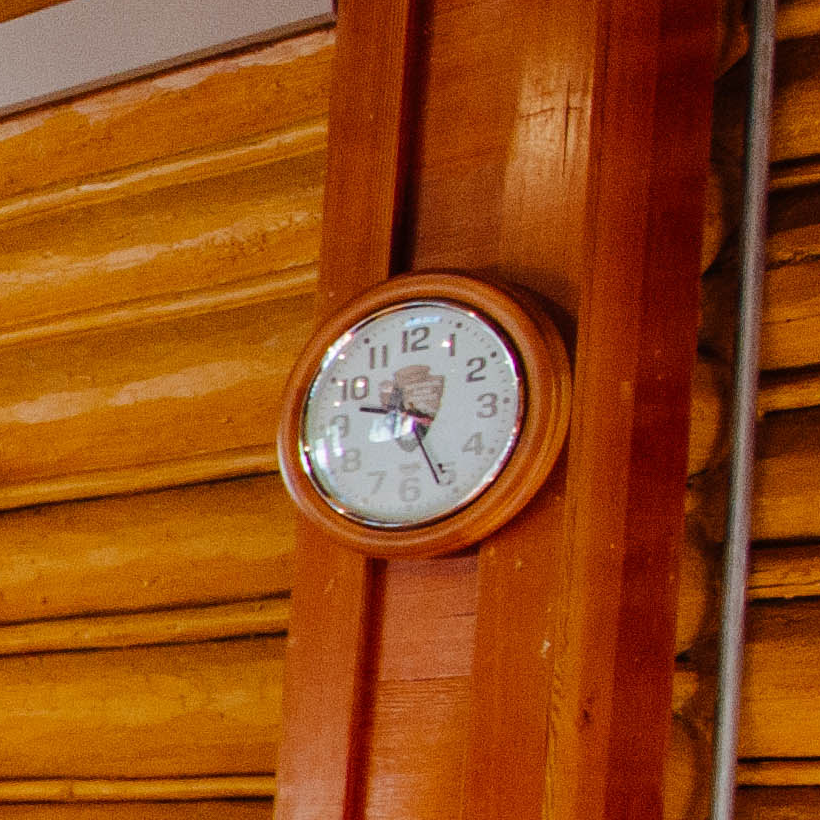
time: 9:25
